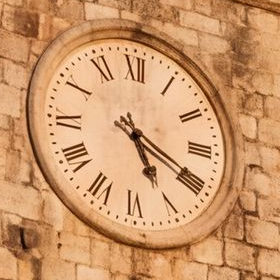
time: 5:19
